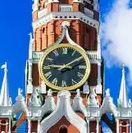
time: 9:09
